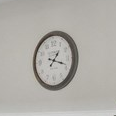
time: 1:18
